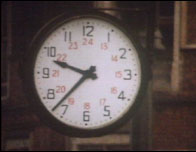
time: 9:37
